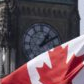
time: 1:10
